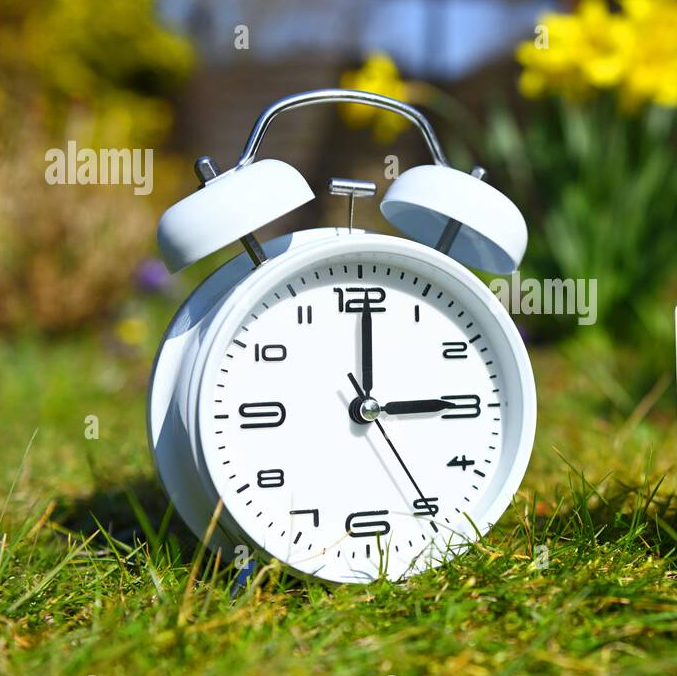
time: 3:00
